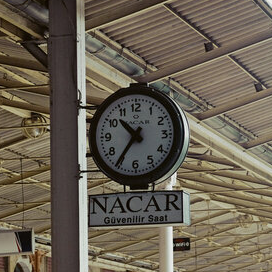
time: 10:35
